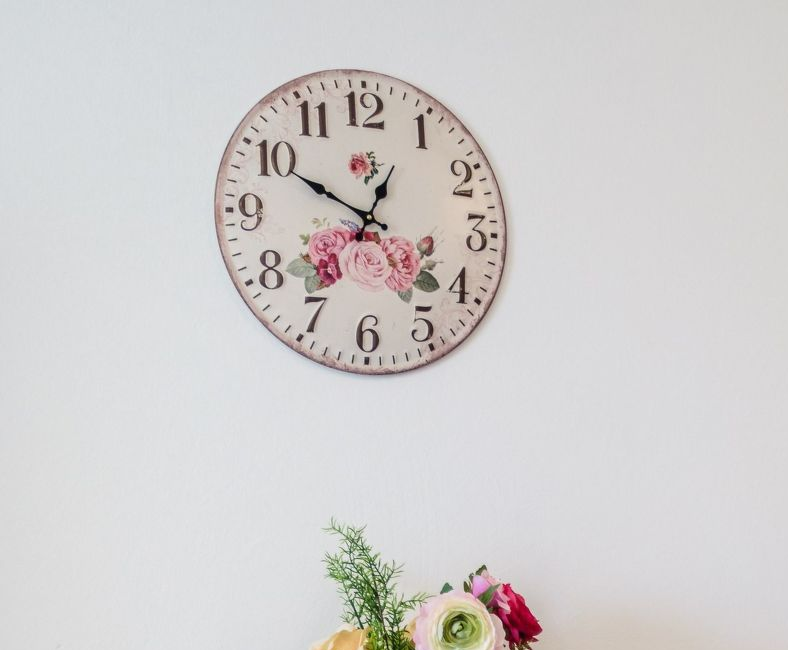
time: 12:49
